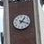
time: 1:18
